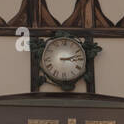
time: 3:12
